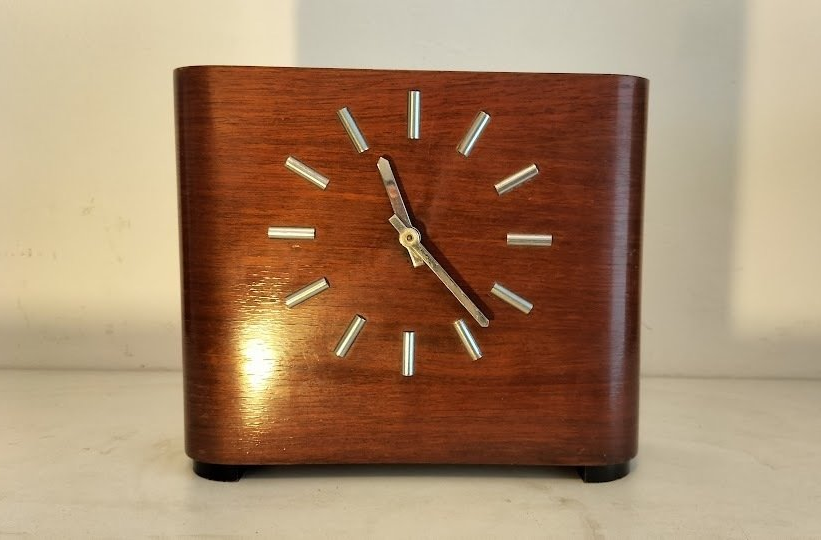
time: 11:22
